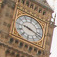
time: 9:18
